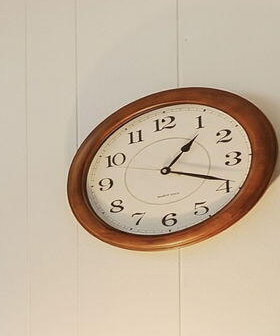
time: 1:18
